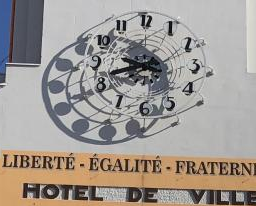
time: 9:42
